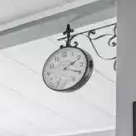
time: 2:19
